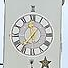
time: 11:36
